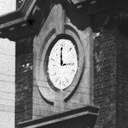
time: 2:58
